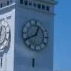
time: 12:40
